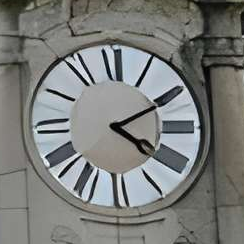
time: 4:10
